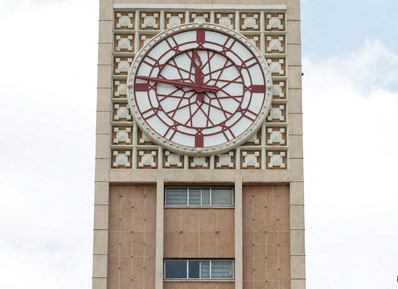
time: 11:46
